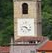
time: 9:22
